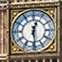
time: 12:28
